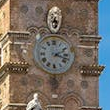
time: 2:17
